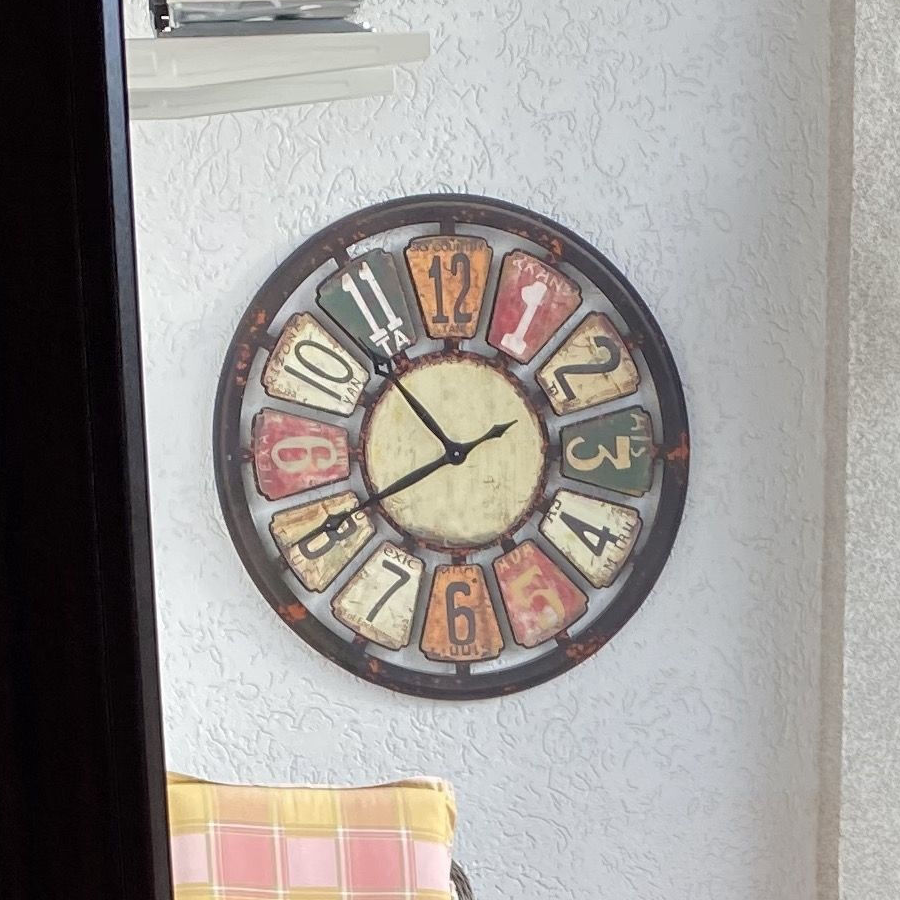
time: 10:40
